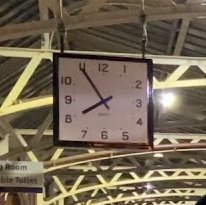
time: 7:54
